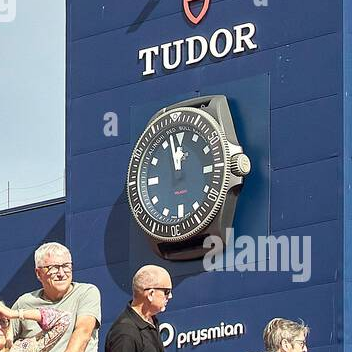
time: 11:57
